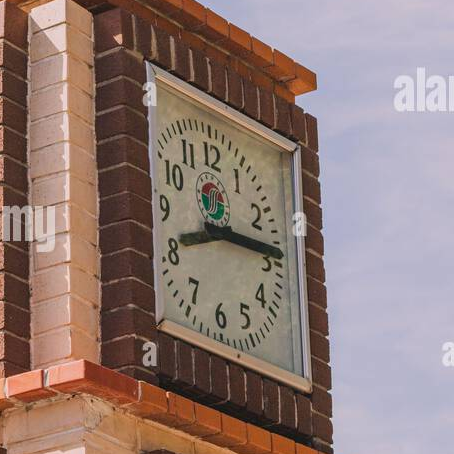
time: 8:14
